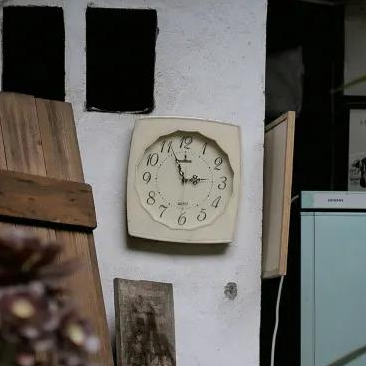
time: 2:56
